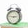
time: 2:46
